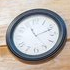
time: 11:11
